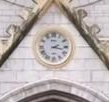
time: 2:17
